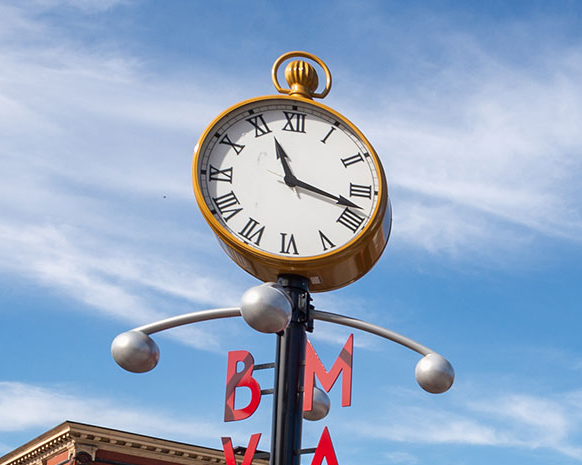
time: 11:17
